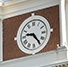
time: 9:24
